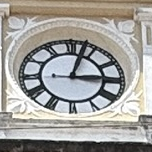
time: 3:02
